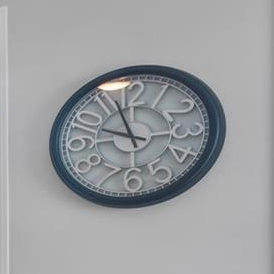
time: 9:56
